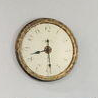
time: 8:29
